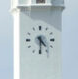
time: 4:30
